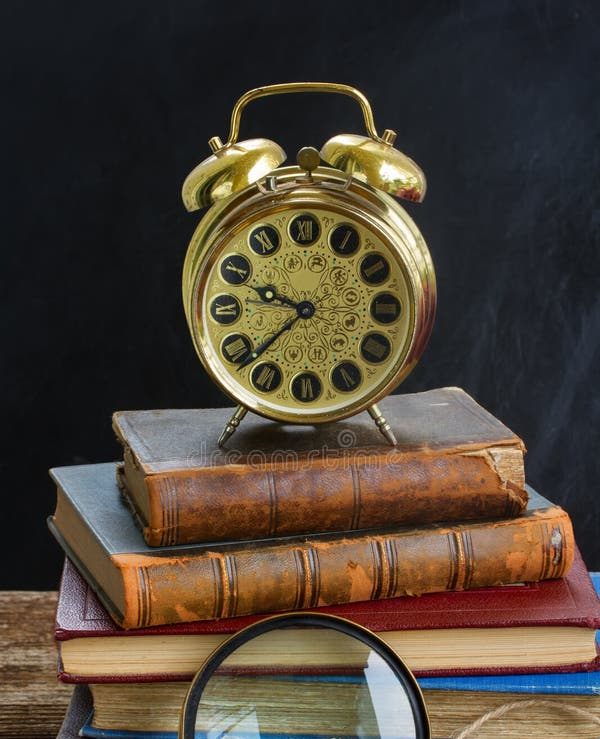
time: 9:38
